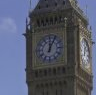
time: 12:04
